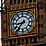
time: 8:36
